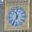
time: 11:35
